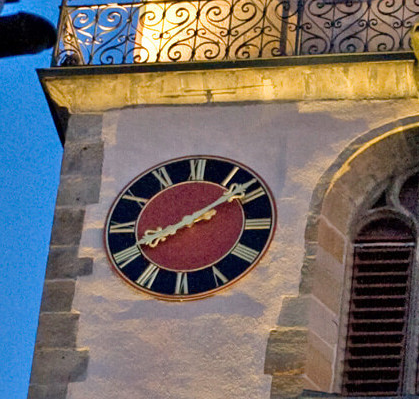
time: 8:08
